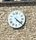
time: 4:21
